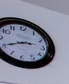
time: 2:40
